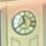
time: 11:39
